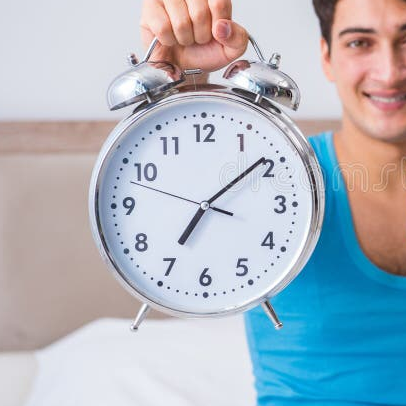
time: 7:08
